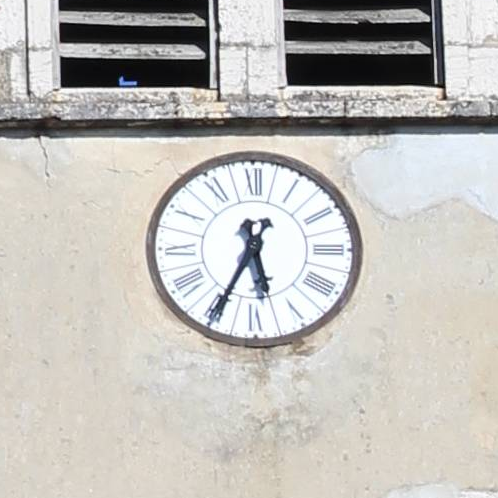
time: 5:34
